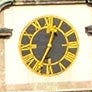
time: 12:34
